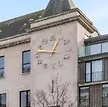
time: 12:46
